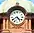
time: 4:40
